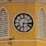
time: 6:15
